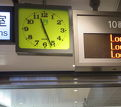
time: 11:26
